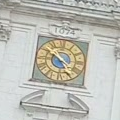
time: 4:50
